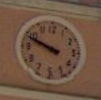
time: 9:48
